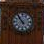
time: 10:54
